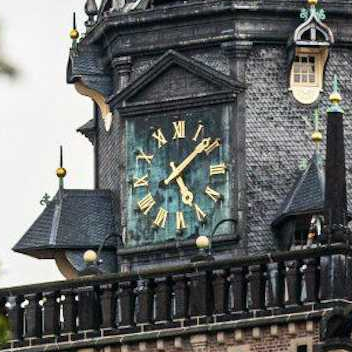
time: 5:08
